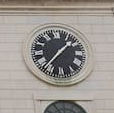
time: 1:36
